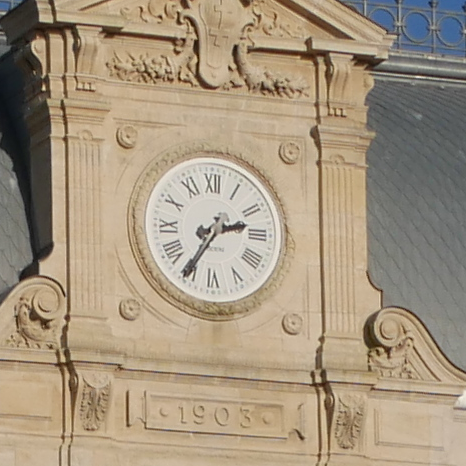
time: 2:35
